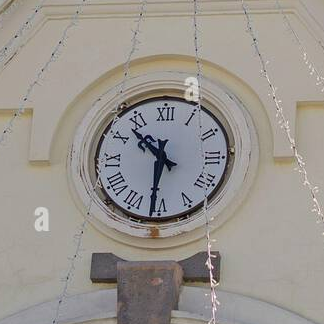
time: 10:31
